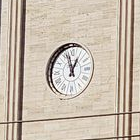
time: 12:57
